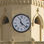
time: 11:21
